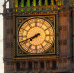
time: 7:41
